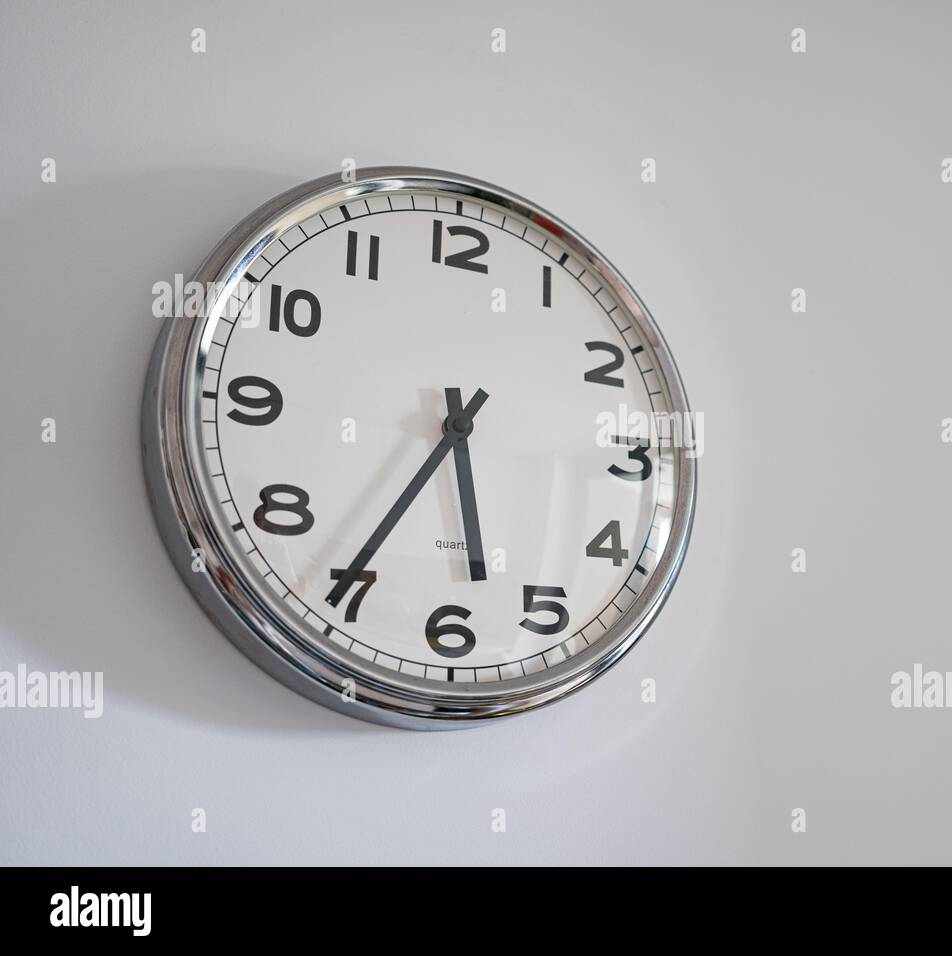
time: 5:35
